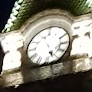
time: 5:26
